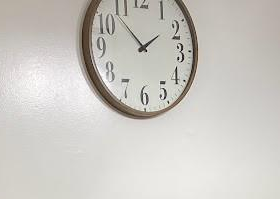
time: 1:52
